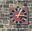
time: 1:16
